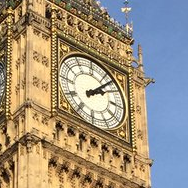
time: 2:07
